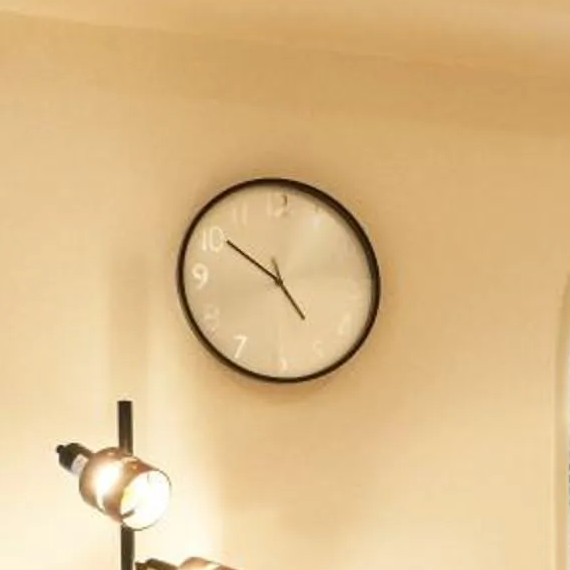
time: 4:50
